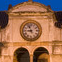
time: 8:56
